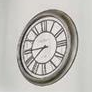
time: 7:45
